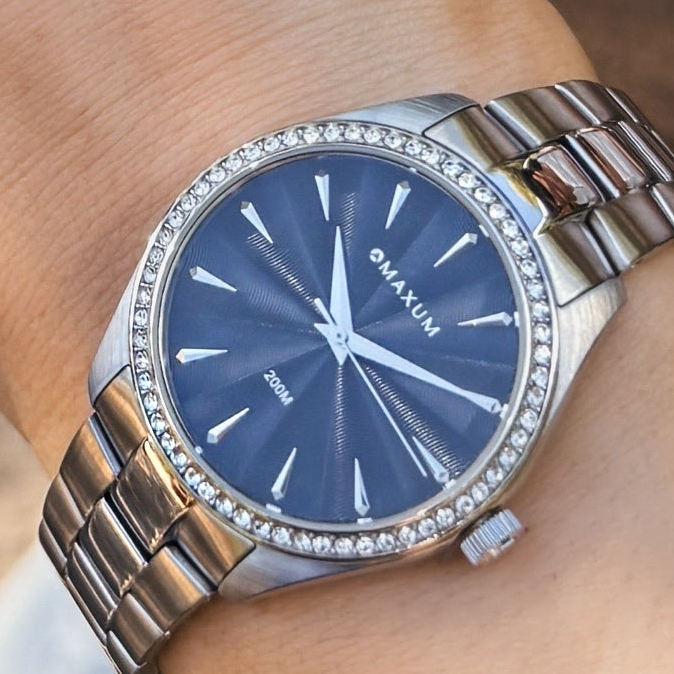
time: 12:19
